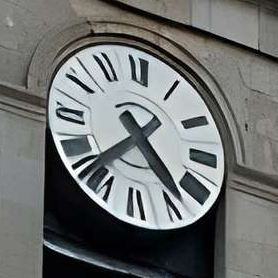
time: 4:37
